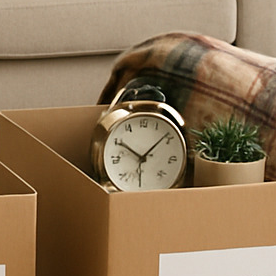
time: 10:08
